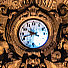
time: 9:42
